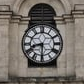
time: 8:29
